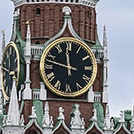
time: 11:47
